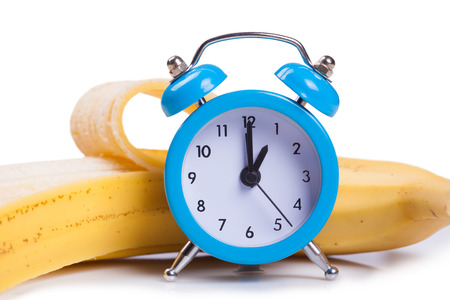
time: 1:00
